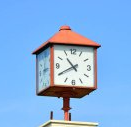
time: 10:40
